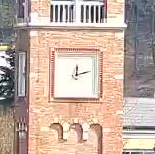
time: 12:12
